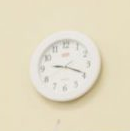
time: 9:18
